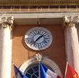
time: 1:36
